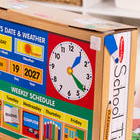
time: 4:20
